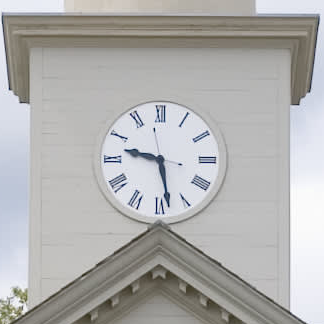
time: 9:28
